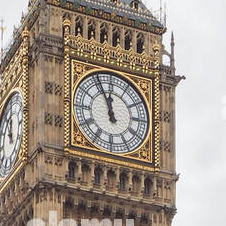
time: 11:55
